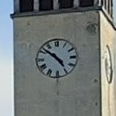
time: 4:51
